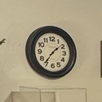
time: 1:36
